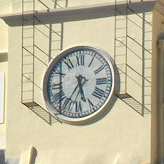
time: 5:35
